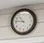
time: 10:46
